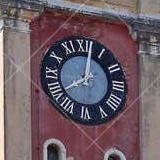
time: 8:01
